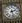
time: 2:27
